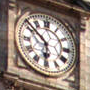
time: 5:51
